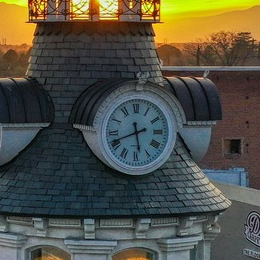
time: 5:41
